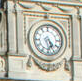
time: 4:26
